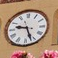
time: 9:26
